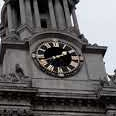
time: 1:41
